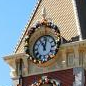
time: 11:02
